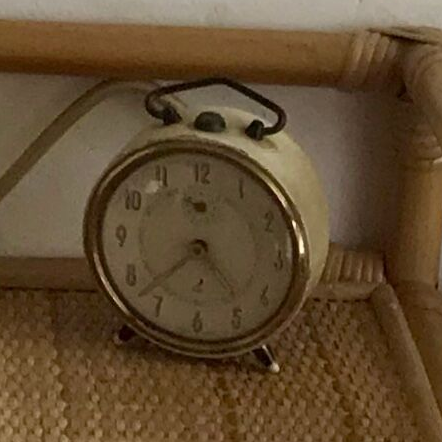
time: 4:37
